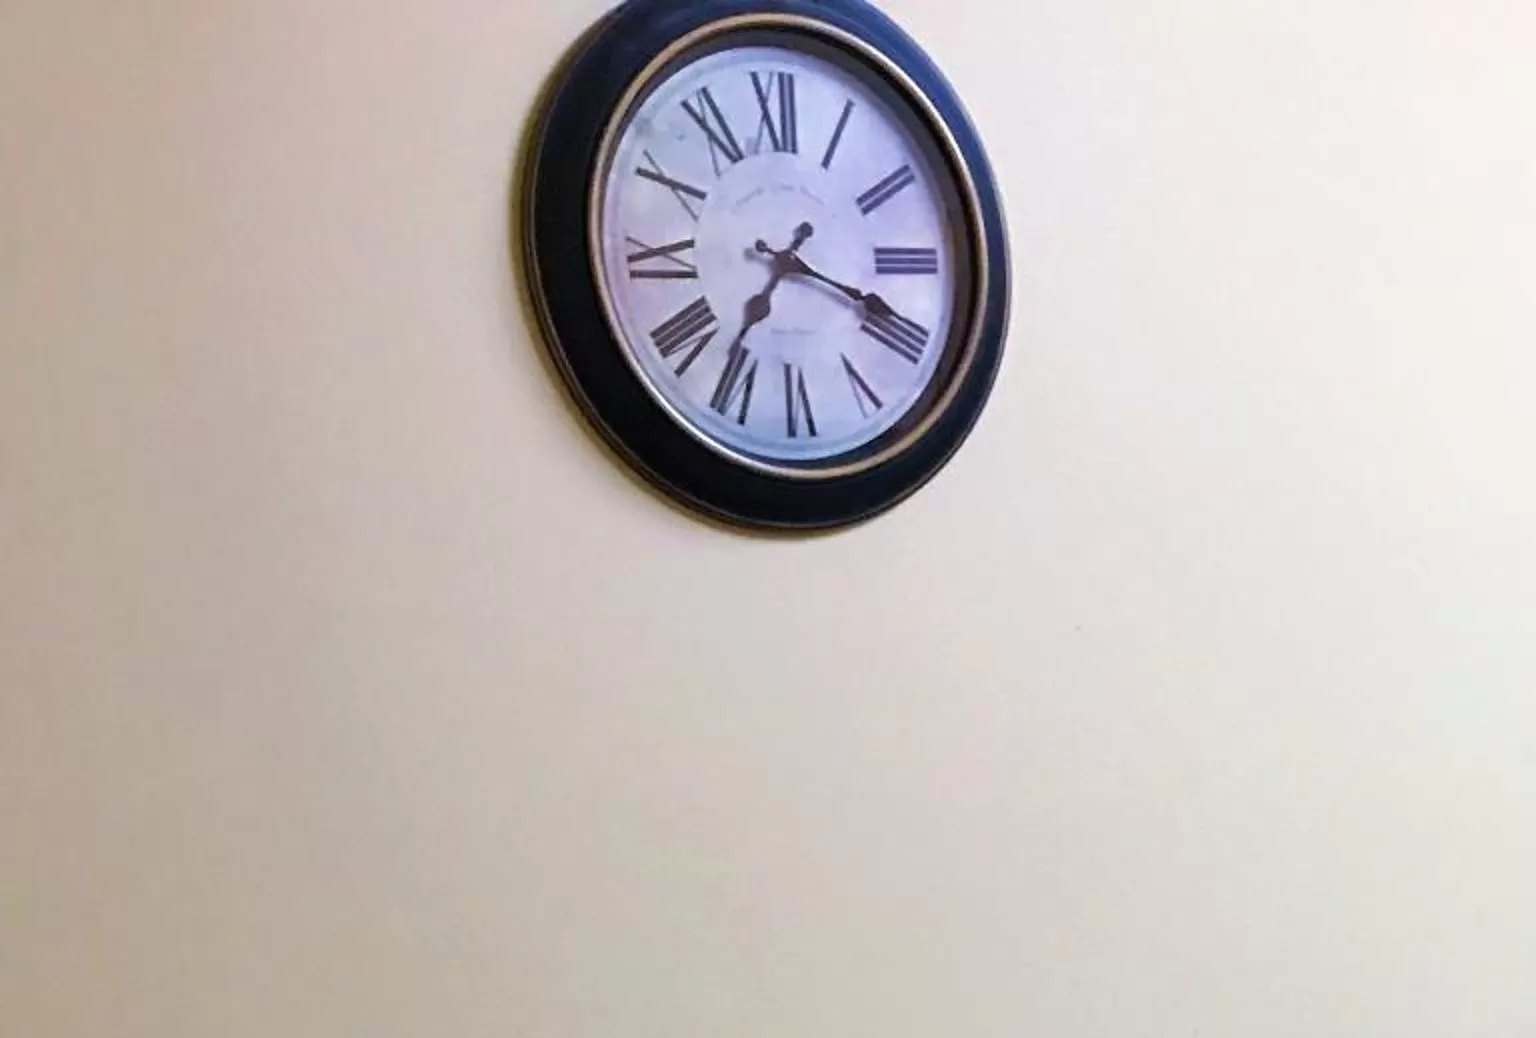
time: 7:18
